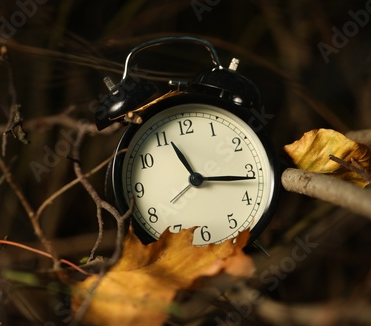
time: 11:16
